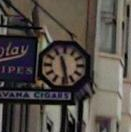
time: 11:28
